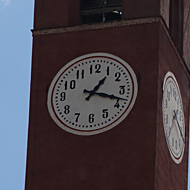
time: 1:18
